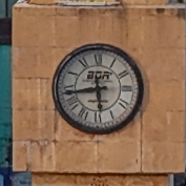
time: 5:43
